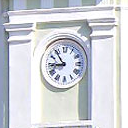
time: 8:54
